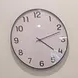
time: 4:11
